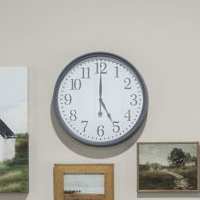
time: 5:00
